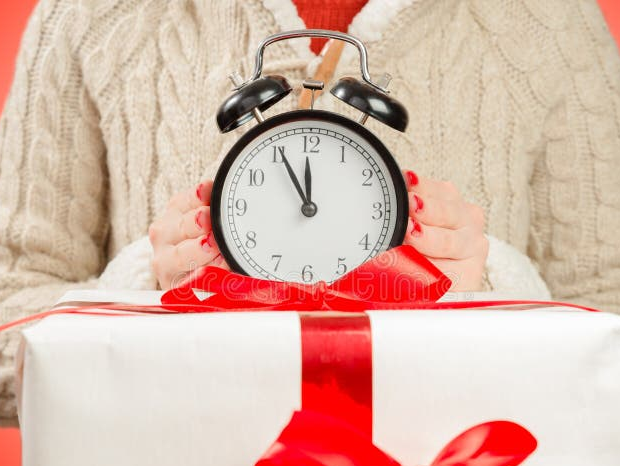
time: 11:55
